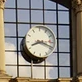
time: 8:18
